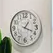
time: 1:18
